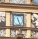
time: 11:25
